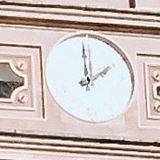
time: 1:59
